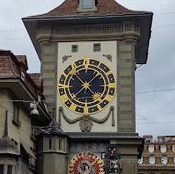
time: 10:38
